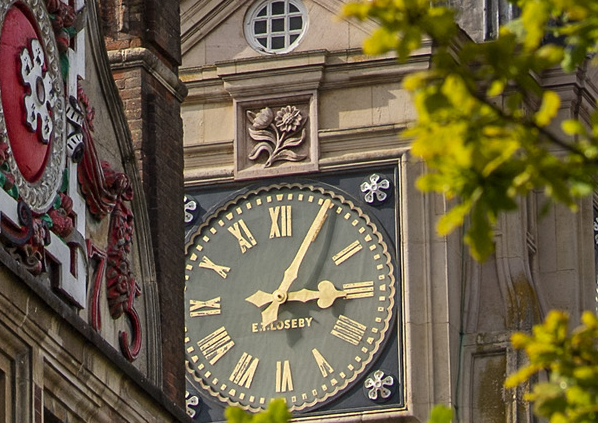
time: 3:04
